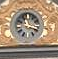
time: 11:17
